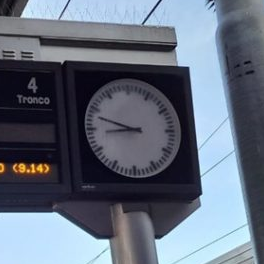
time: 8:48
